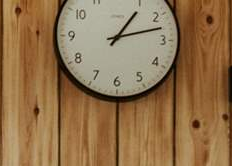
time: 1:12
